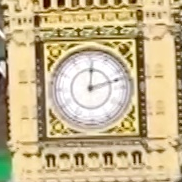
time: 12:12
